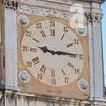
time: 9:14
